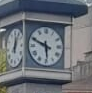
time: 5:48
